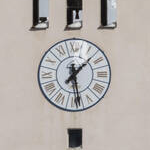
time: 1:28
